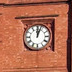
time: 12:03
